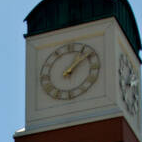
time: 1:08
